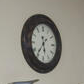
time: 5:36
